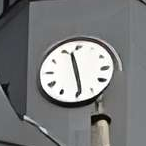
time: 11:28
